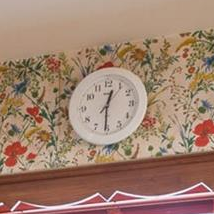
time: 12:30
